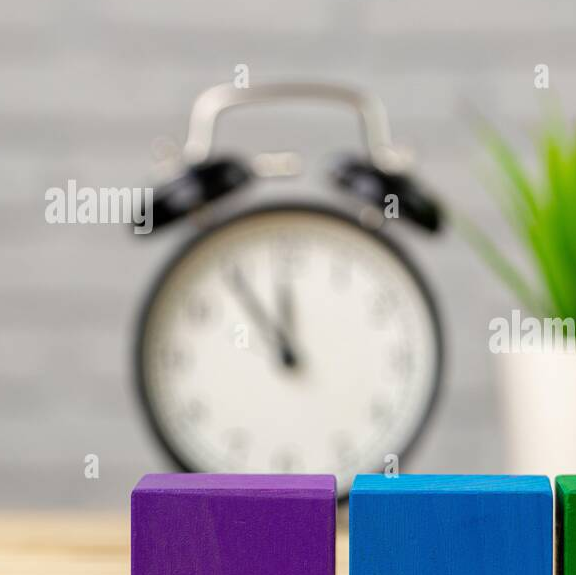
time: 11:54
